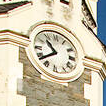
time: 10:38
